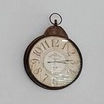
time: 3:13
